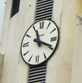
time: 11:18
